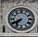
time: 7:40
